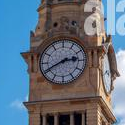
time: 2:40
